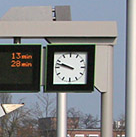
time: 9:47
